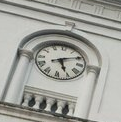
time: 5:10
